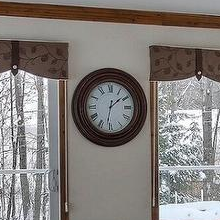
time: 1:31
